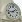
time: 1:42
